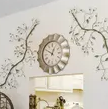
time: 12:49
